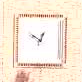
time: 12:49
